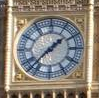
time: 1:37
